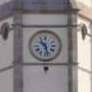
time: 10:27
